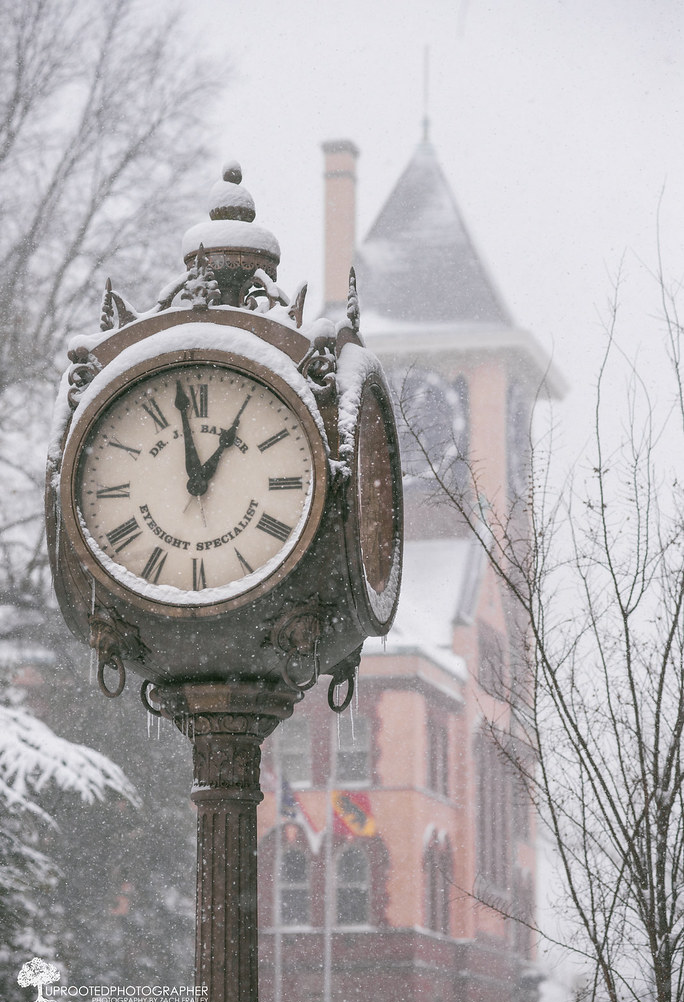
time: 12:58
